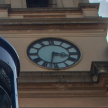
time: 3:32
